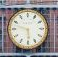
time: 5:47
